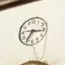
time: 7:15
